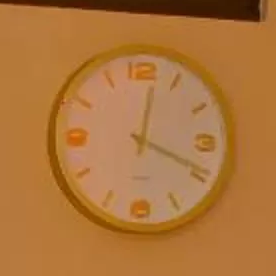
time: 12:19
